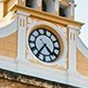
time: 4:35
